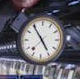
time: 4:54
